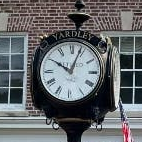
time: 10:03
